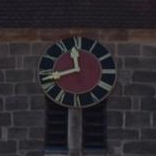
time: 11:42
